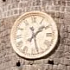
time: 1:27
